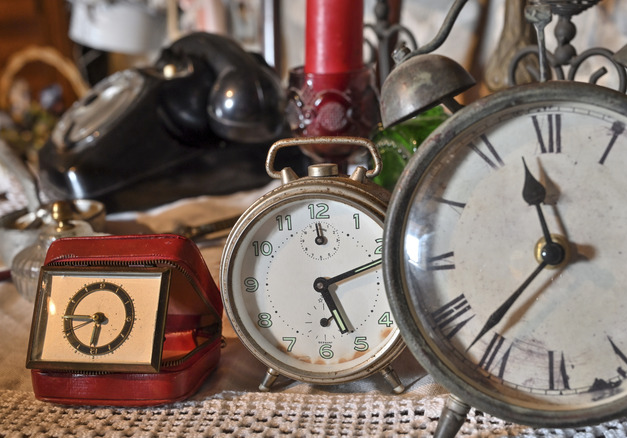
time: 5:11
